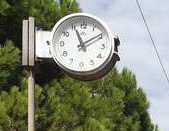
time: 11:09
